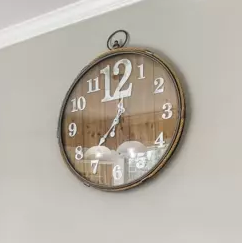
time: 12:36
